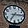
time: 7:15
